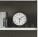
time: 6:08
